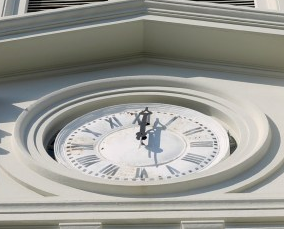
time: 12:00
